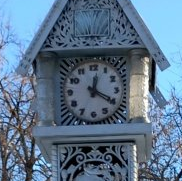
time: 12:19
